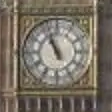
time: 10:56
